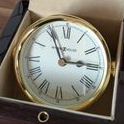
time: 2:55
